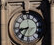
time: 8:35
